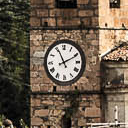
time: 11:10
